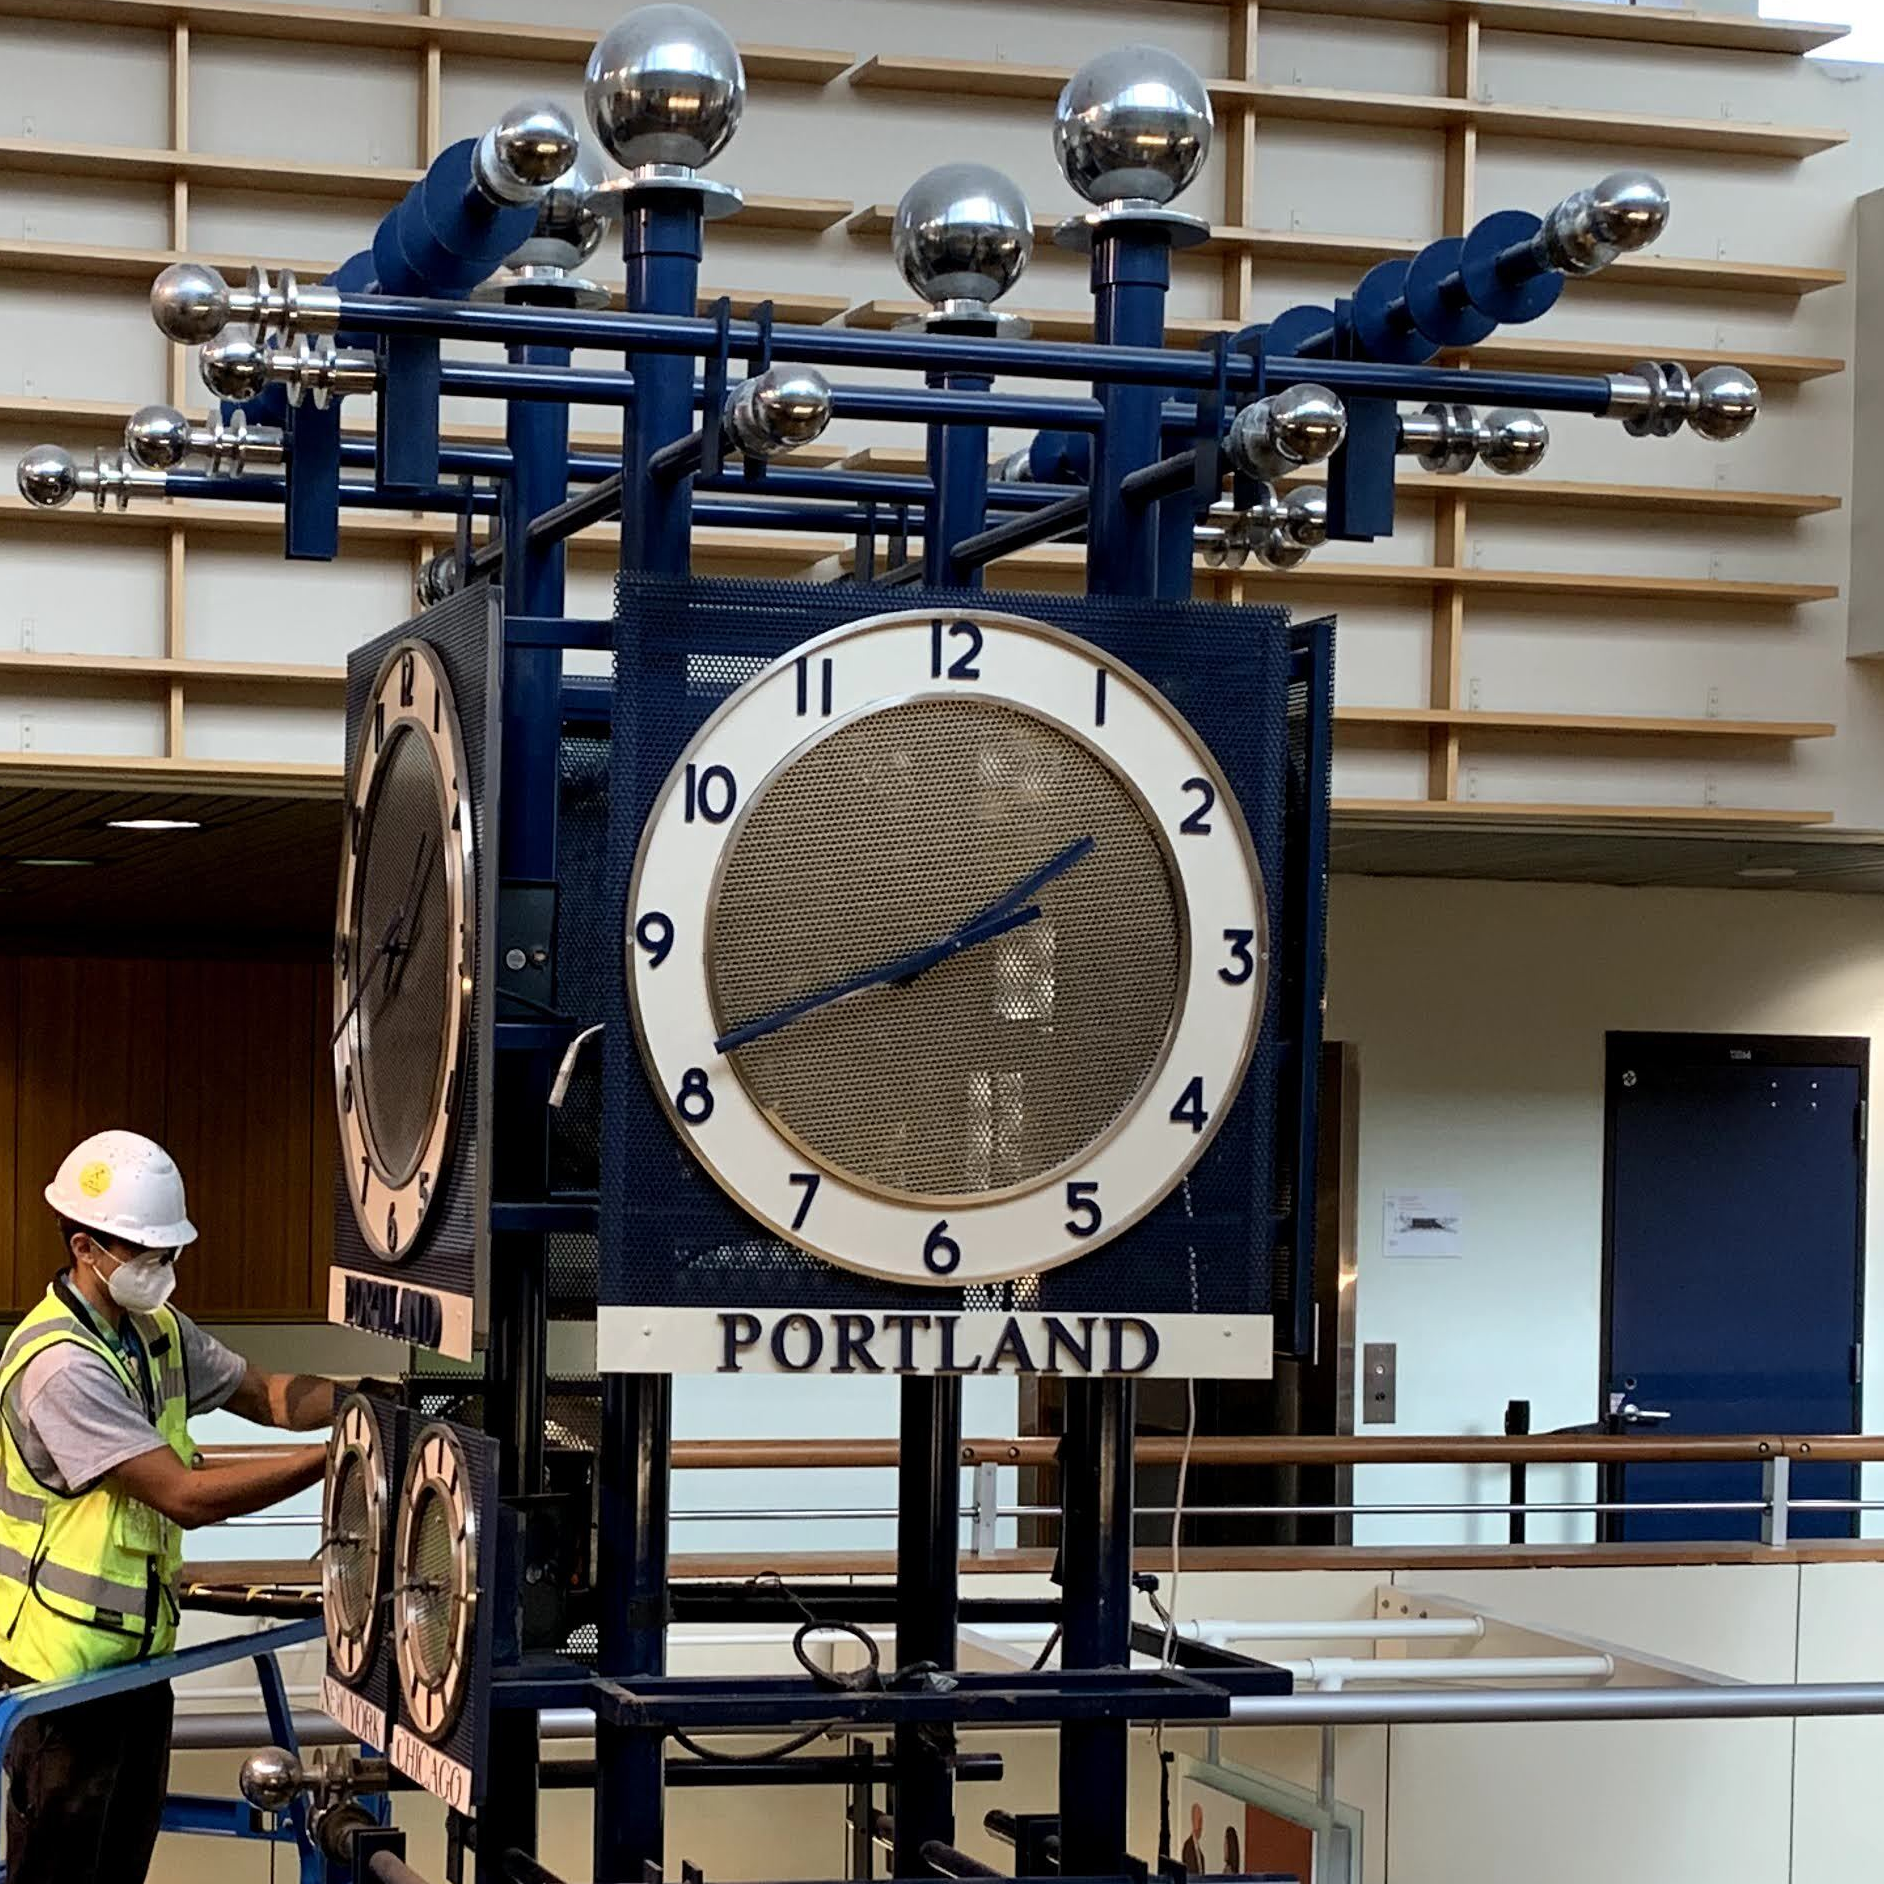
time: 1:40
